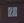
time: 7:00
